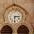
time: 6:14
